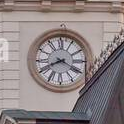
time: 8:19
